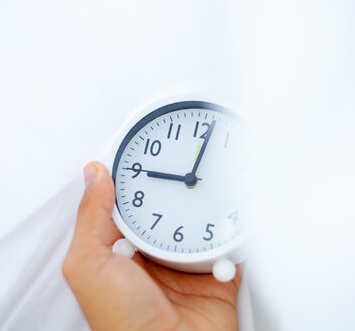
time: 9:01
